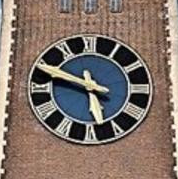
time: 5:48
